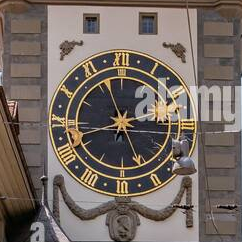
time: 5:15
